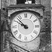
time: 9:52
